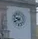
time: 9:40
